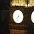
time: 7:32
